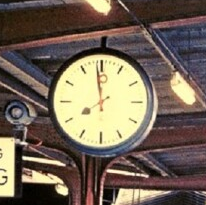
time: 7:58
